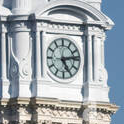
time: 5:13
